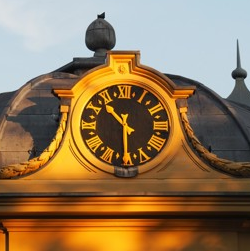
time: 10:29
